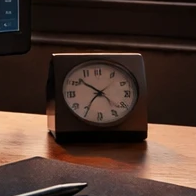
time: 10:22
